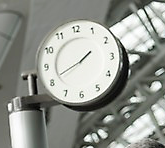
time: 1:41
